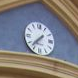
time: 7:37
